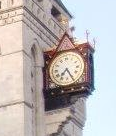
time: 7:25
